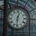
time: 12:30
